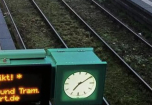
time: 7:09
